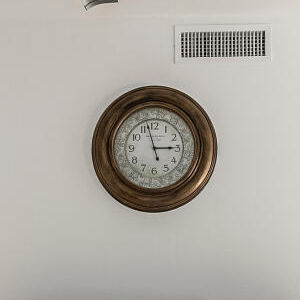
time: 2:57
